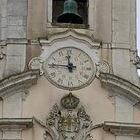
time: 11:45
